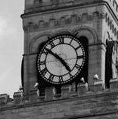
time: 4:51
